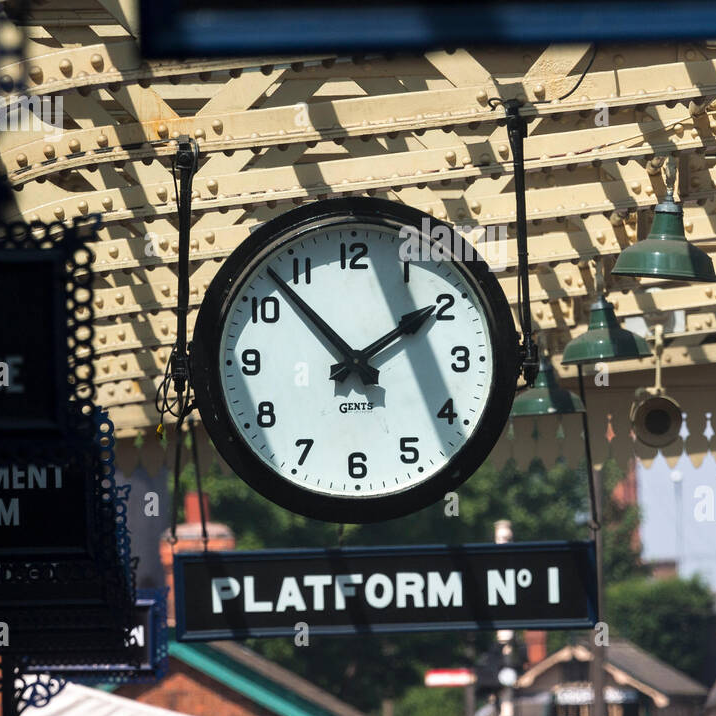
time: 1:53
